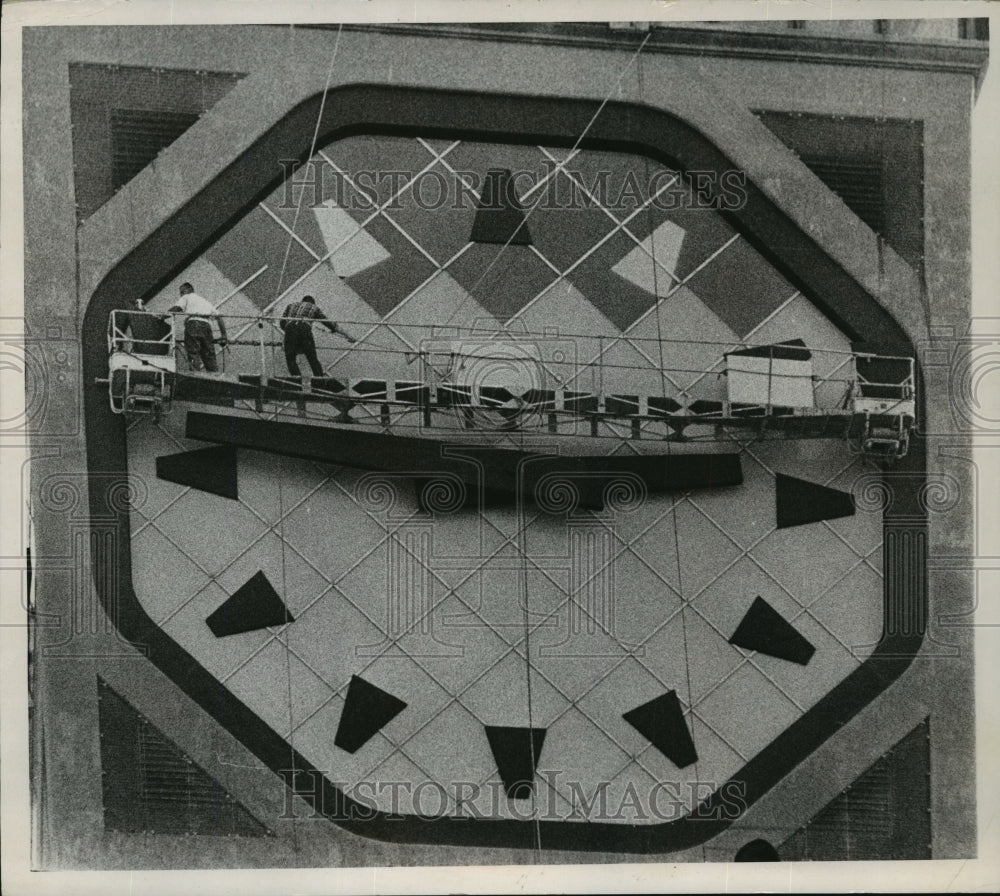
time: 2:45
